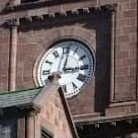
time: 3:01
